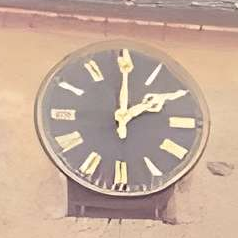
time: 2:00
